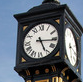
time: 5:15
